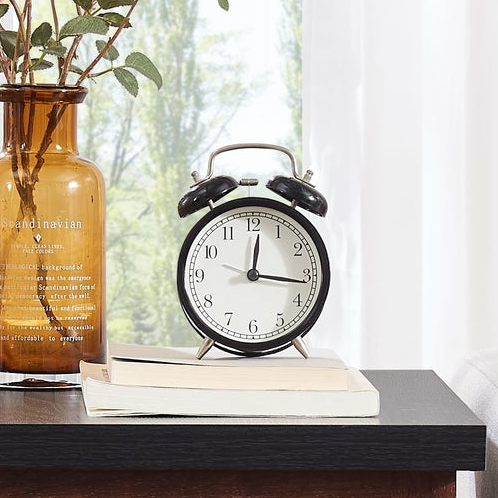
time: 12:16
